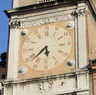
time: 5:38
